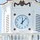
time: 12:07
